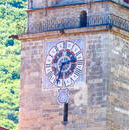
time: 2:33
